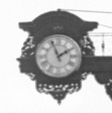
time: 1:56
